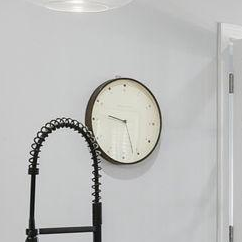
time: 9:26
